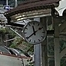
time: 11:38
